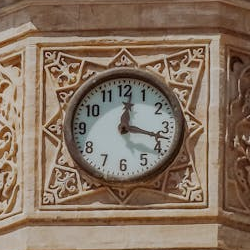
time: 12:17
